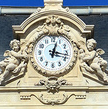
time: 12:17
